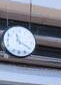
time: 11:19
